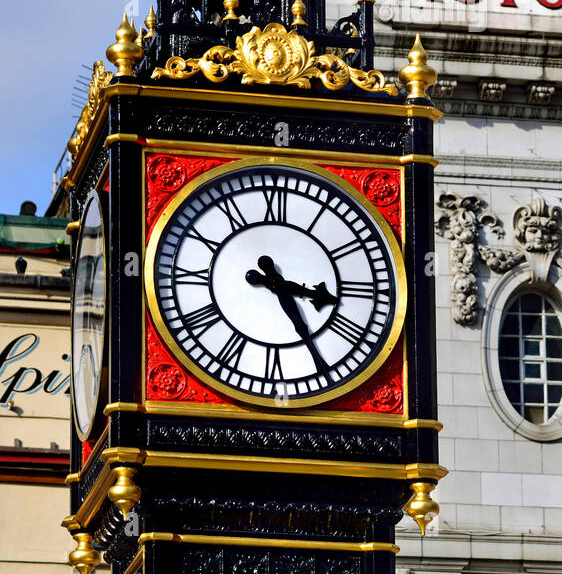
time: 3:24
